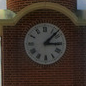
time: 3:07
